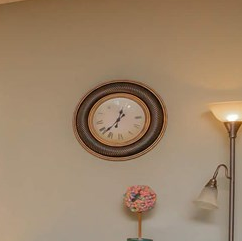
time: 12:37
